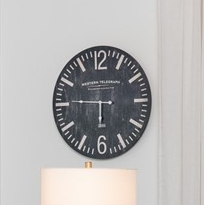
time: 5:45
